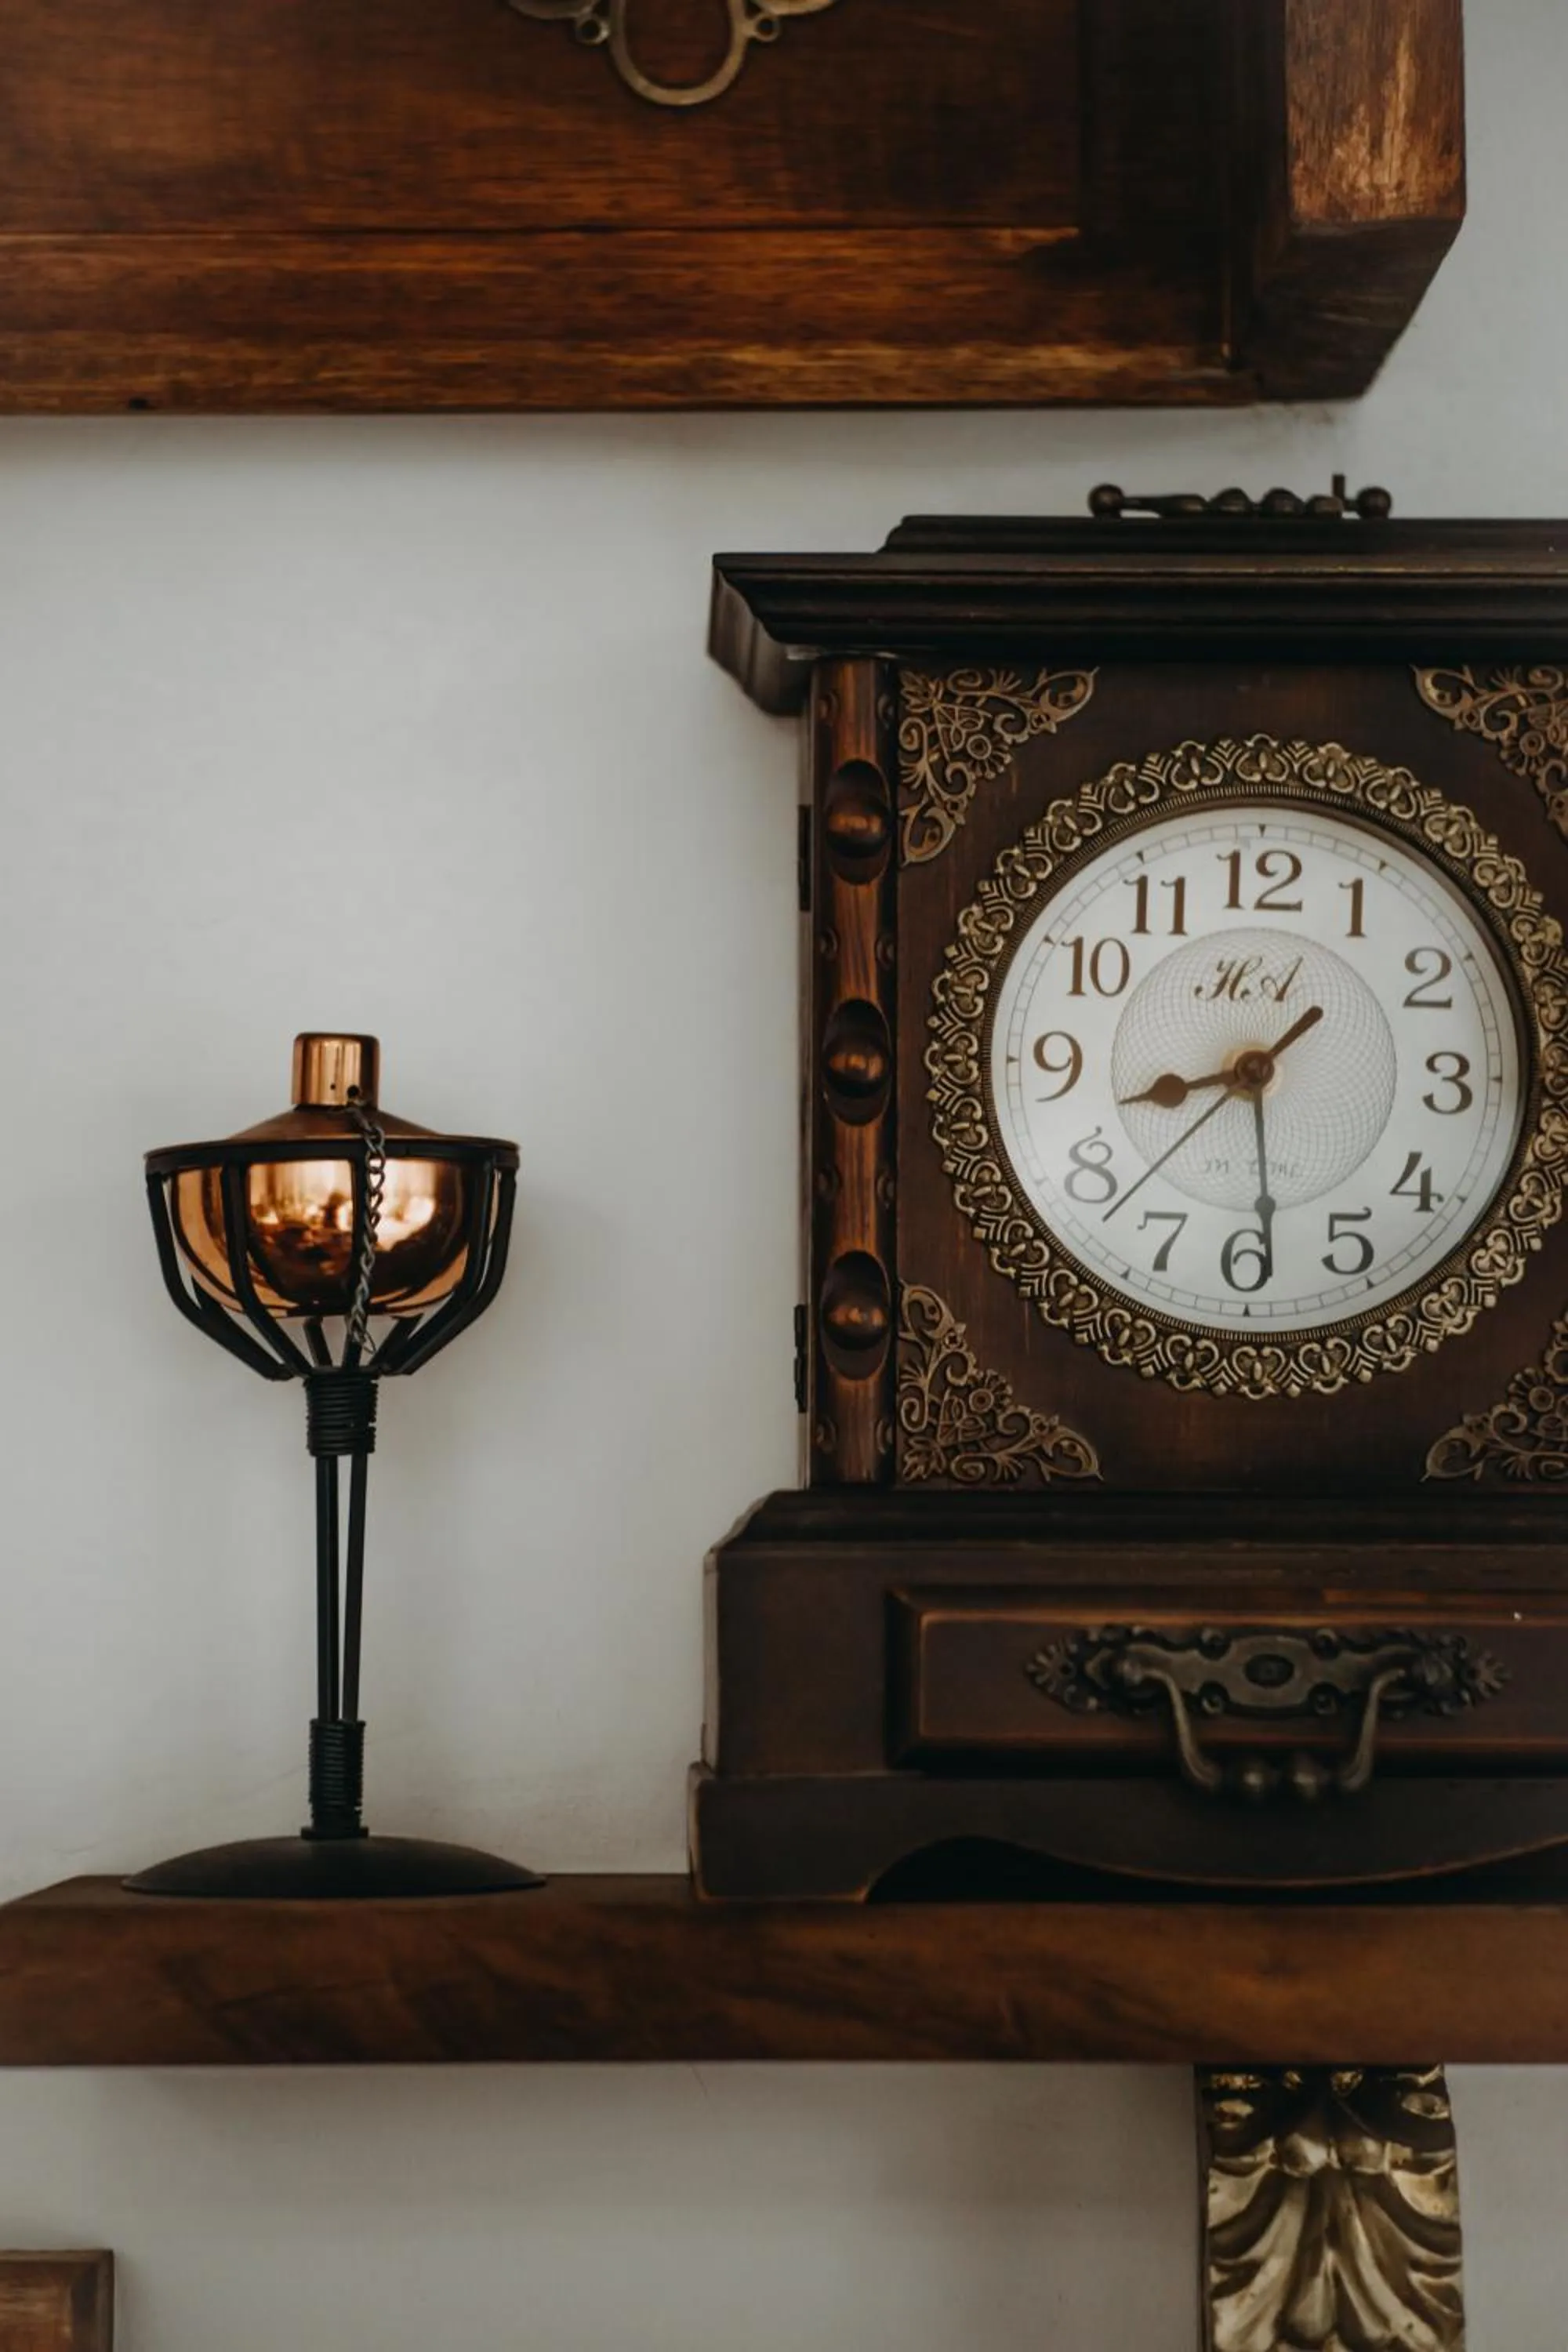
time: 8:29
